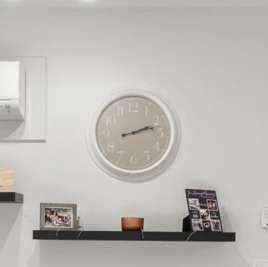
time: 2:12
